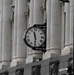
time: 11:29
